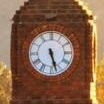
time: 5:27
